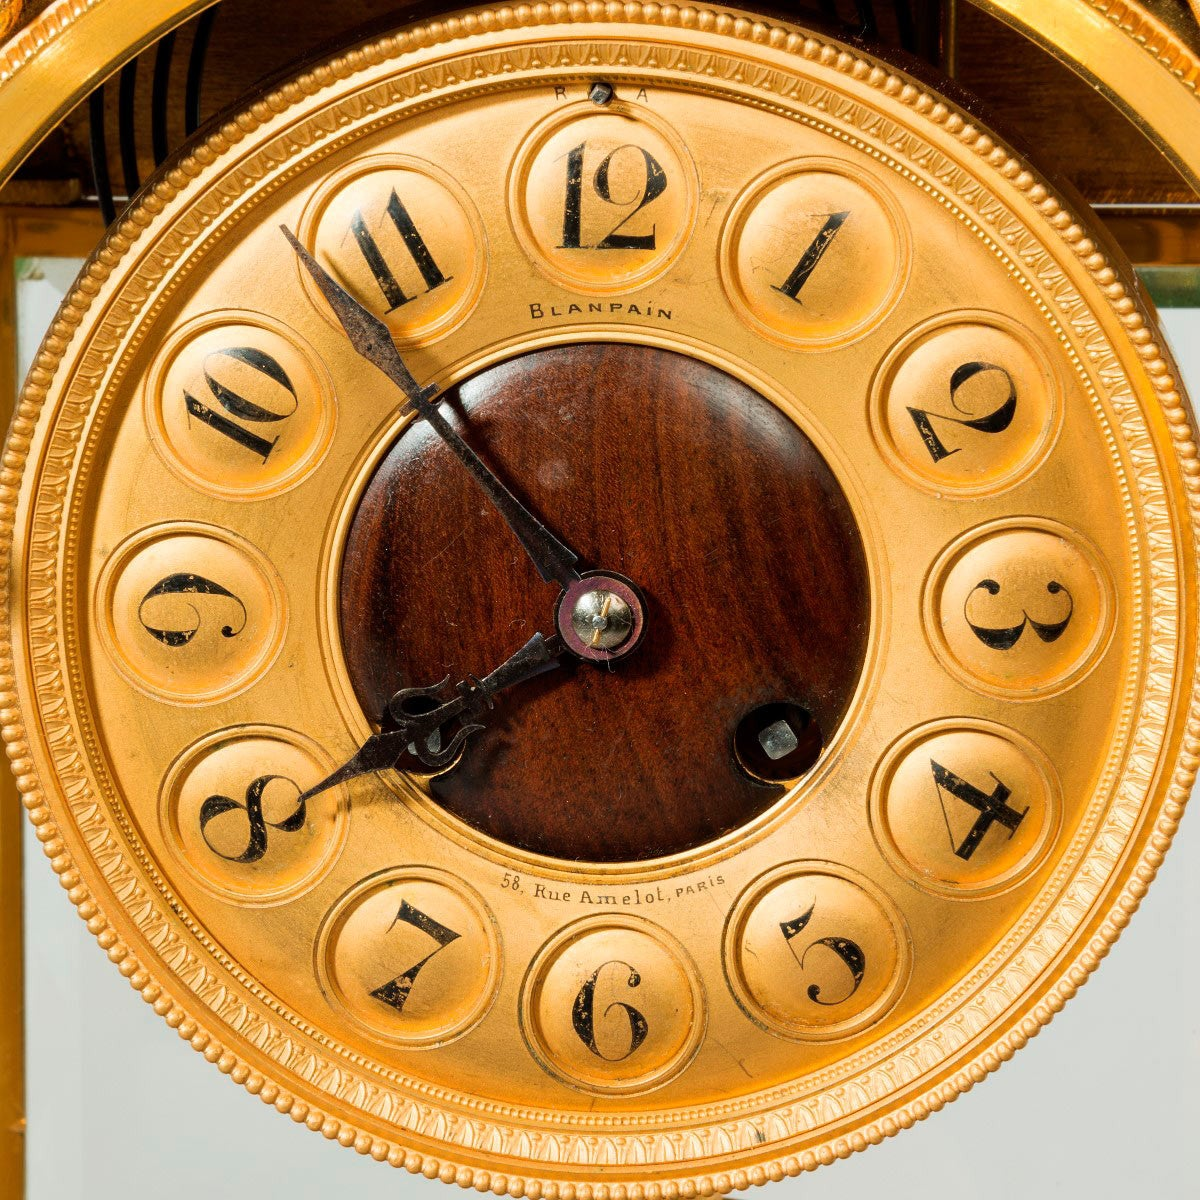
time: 7:53
